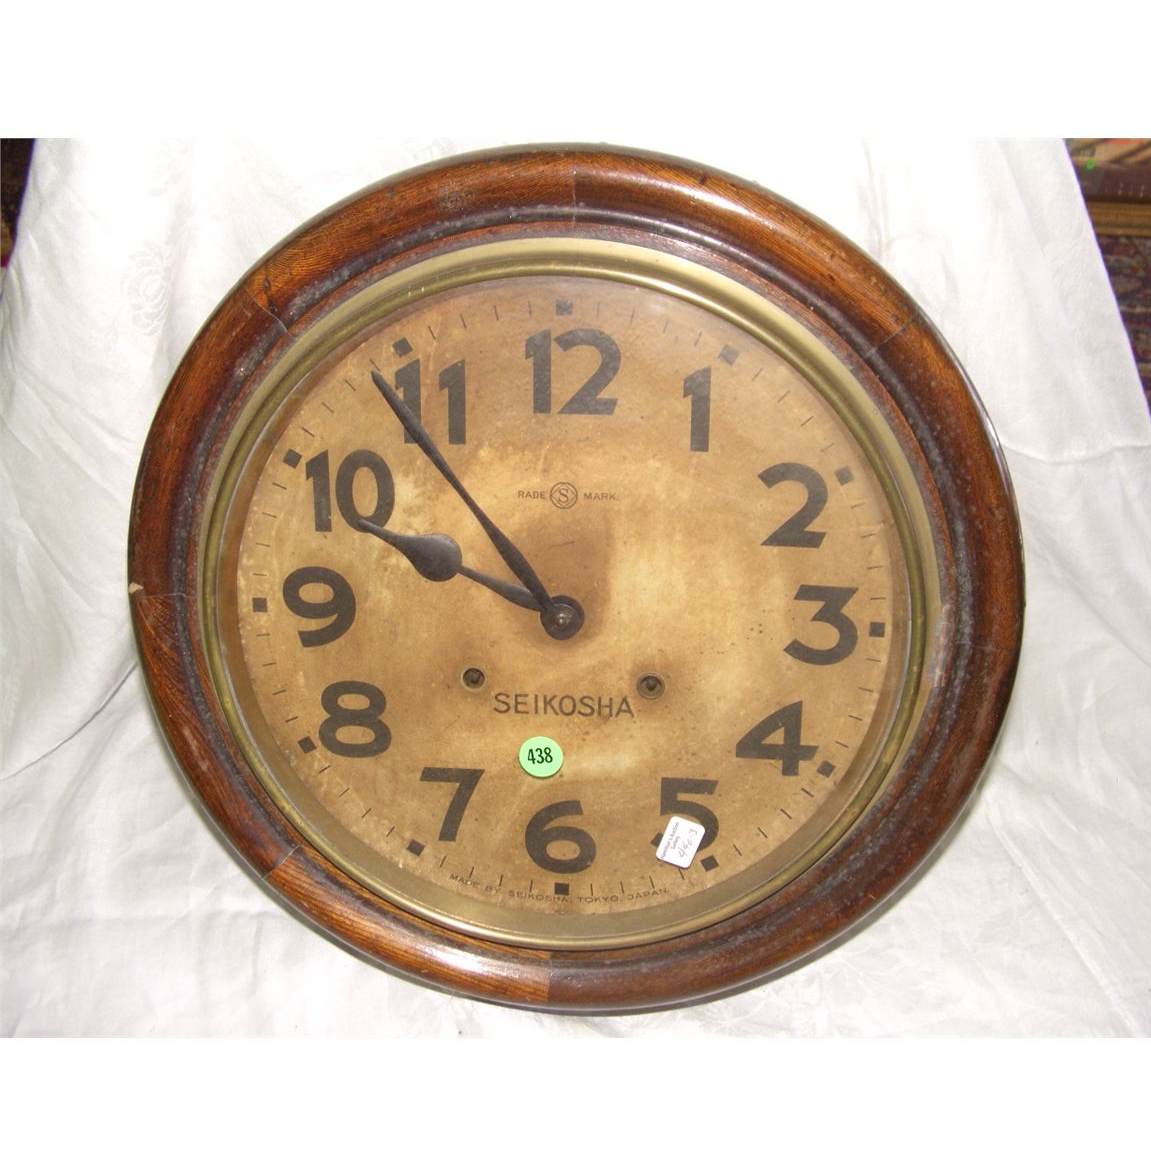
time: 9:53
